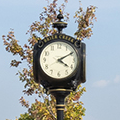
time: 4:09
